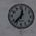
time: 12:37
